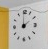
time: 1:59
